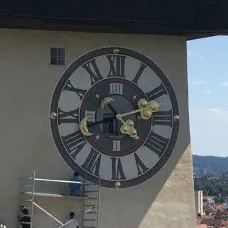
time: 4:42
